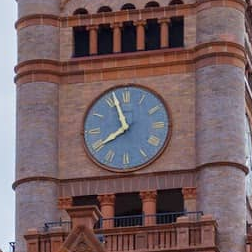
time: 7:56
